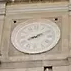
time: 8:09
